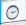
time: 9:12
